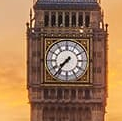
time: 7:36
